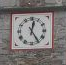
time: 12:24
